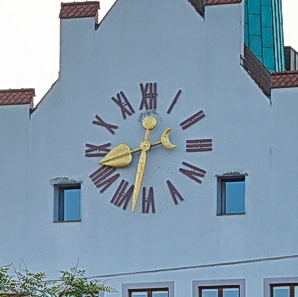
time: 12:32
